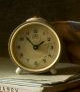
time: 1:53
